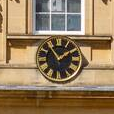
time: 1:54
